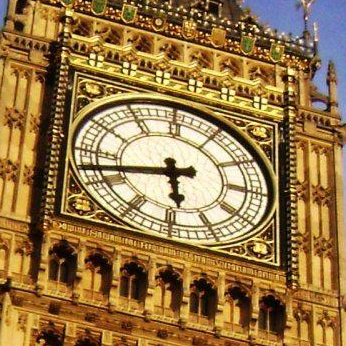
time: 5:42
